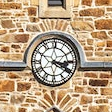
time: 3:20
